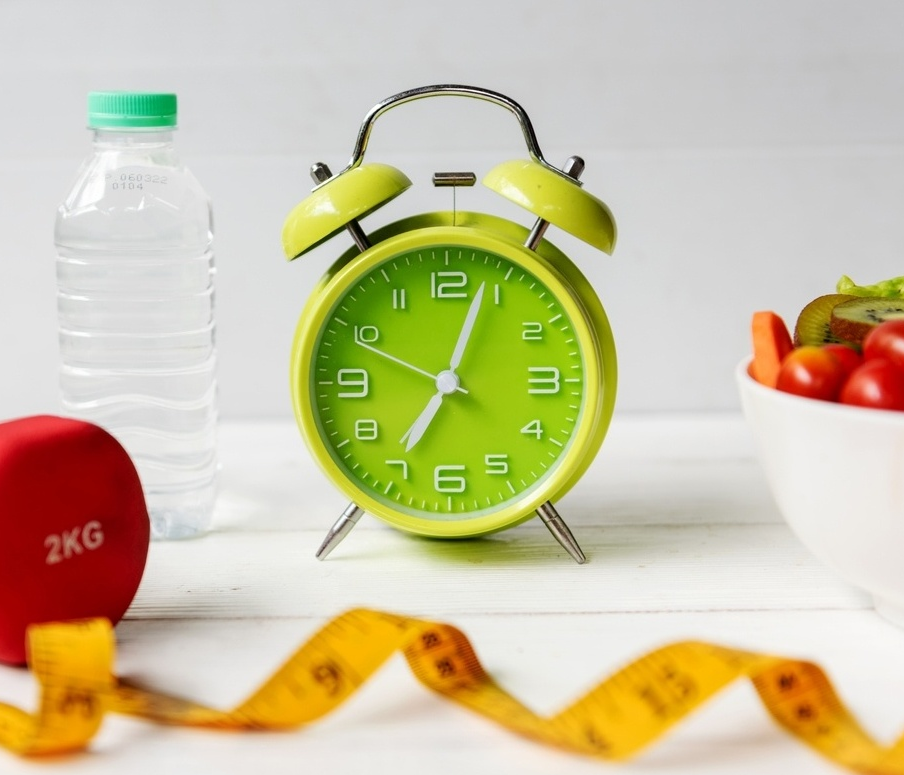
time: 7:03
